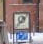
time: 1:37
